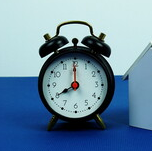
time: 8:00
